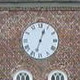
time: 12:32
